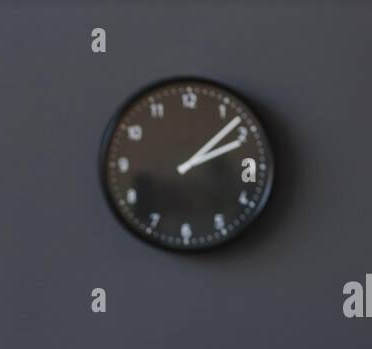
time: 2:07
